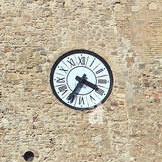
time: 3:34
